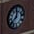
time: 12:38
